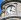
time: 4:02
